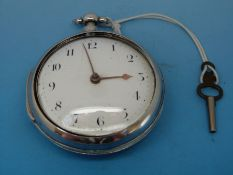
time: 2:58
